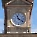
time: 11:21
